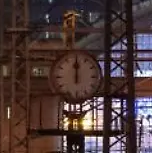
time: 12:00
